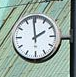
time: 1:59
